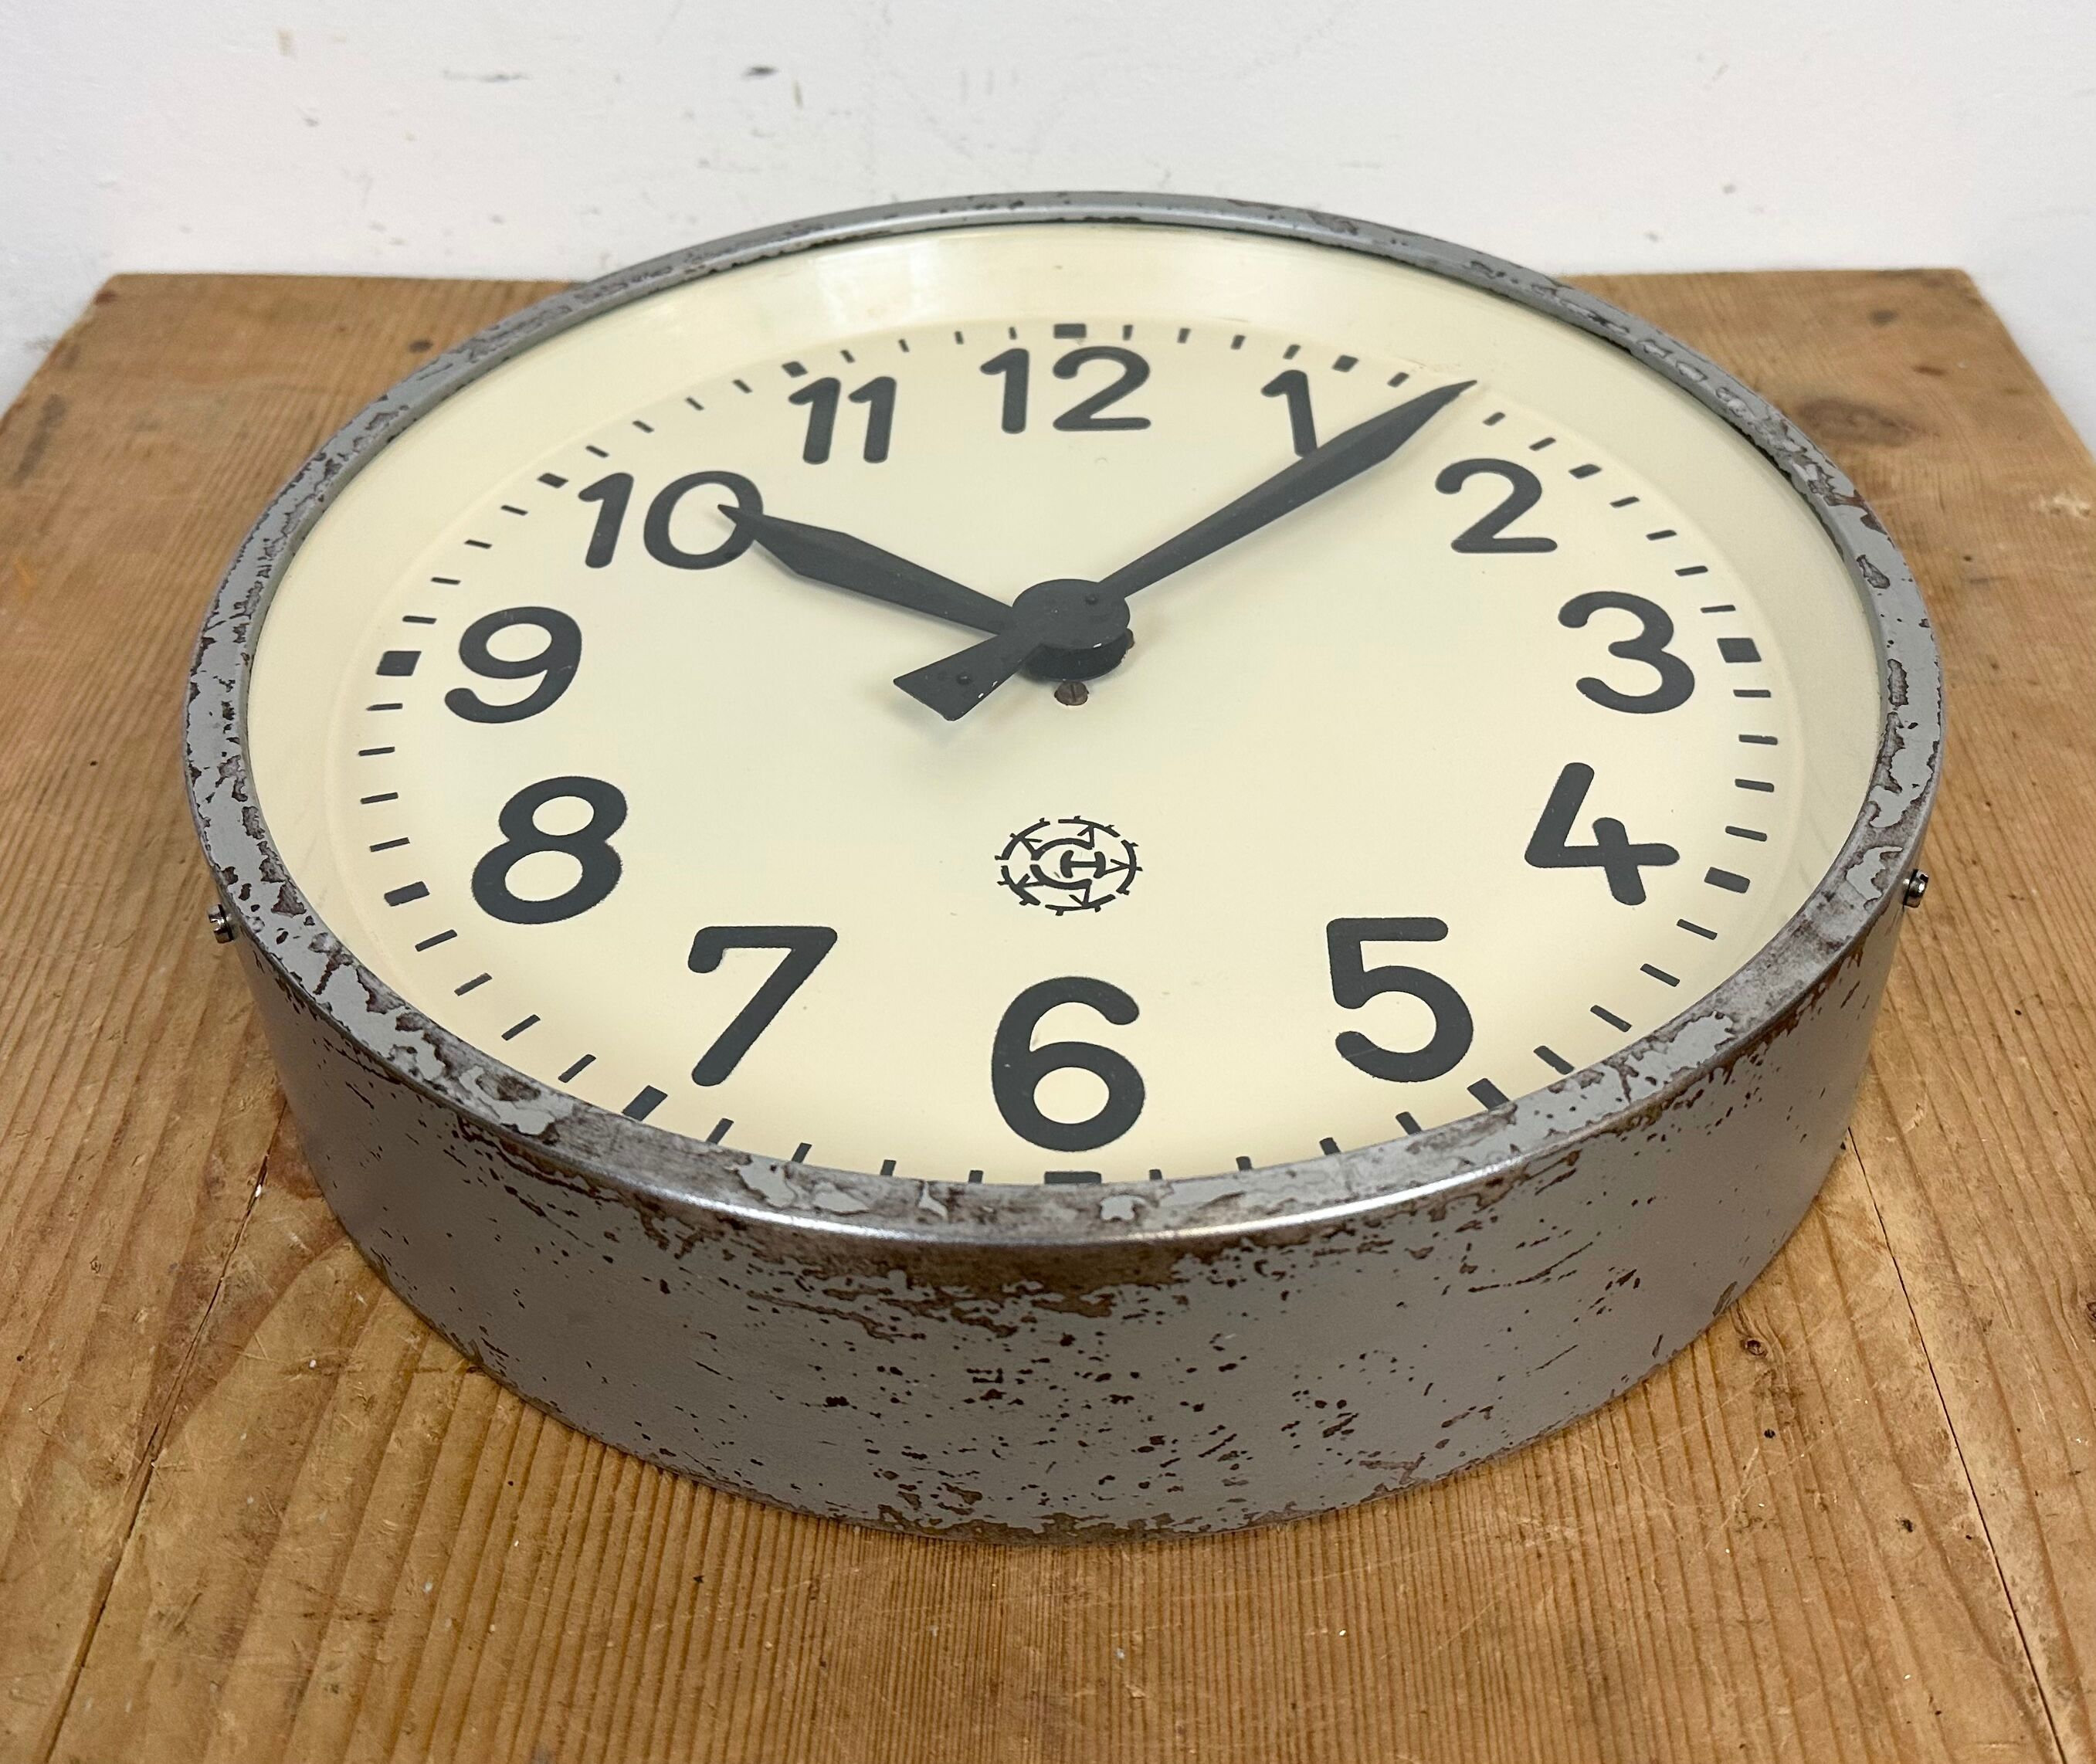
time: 10:07
